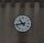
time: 10:42
